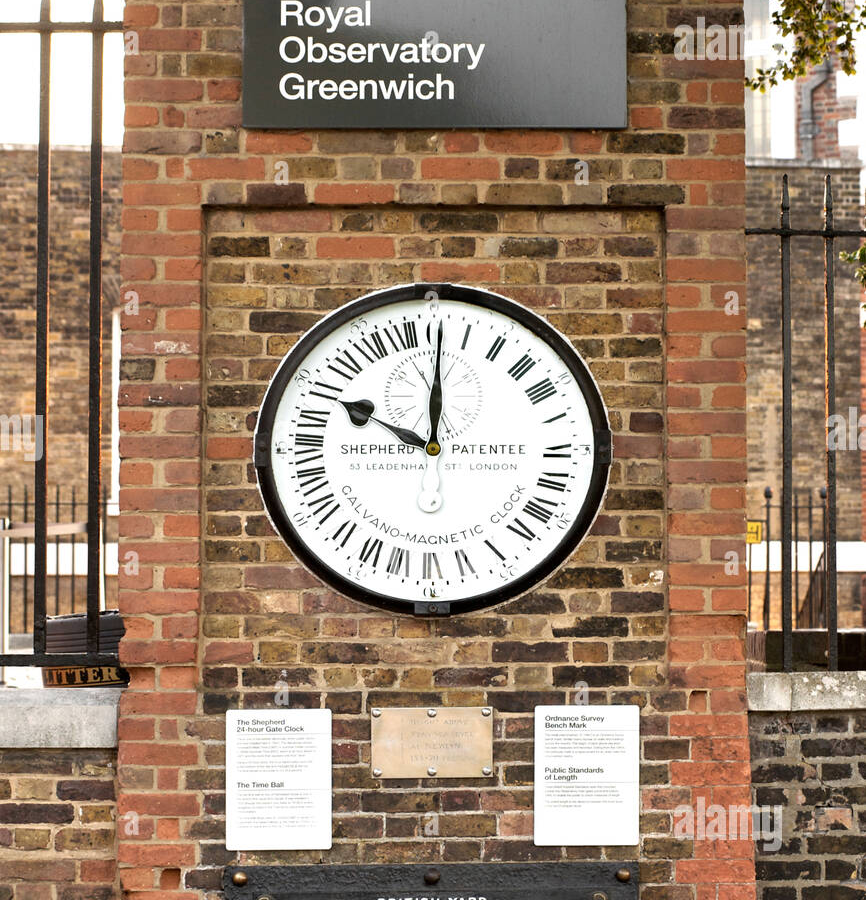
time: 10:00
